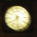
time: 7:28
